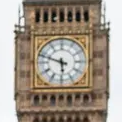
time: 5:48
